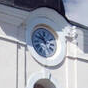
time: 10:48
